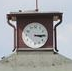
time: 3:14
